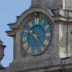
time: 10:23
